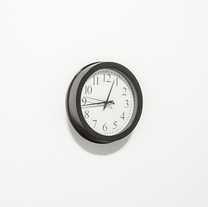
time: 12:43
